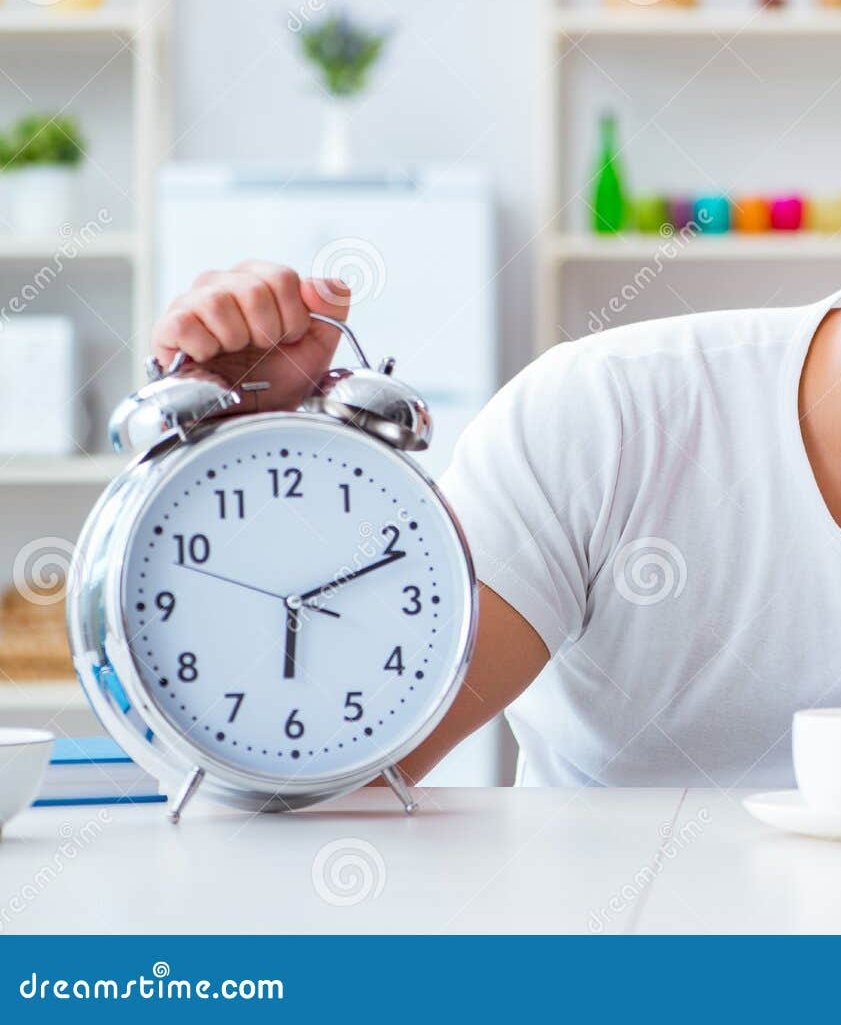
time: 6:11
